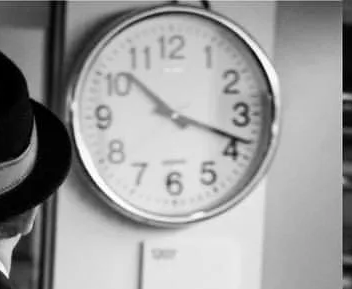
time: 10:18
